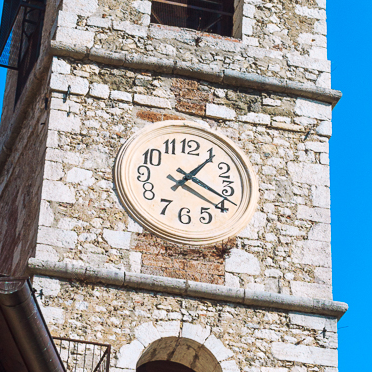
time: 1:18
